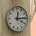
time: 12:14
